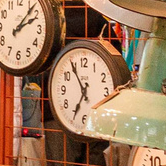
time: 6:54
